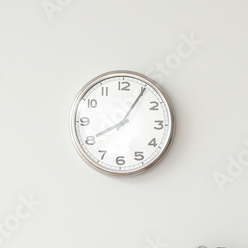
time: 8:05
